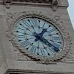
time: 4:04
